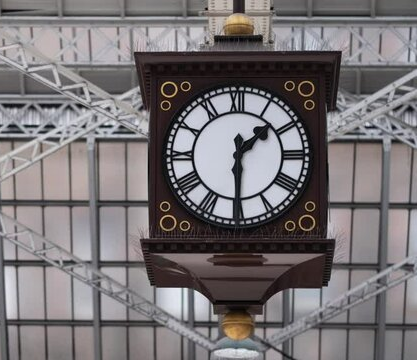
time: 1:29
